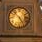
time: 4:52
